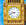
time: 9:42
